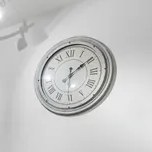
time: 12:09
